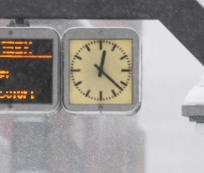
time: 12:21
